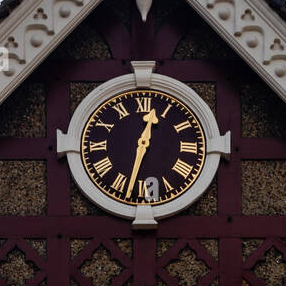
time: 12:32
